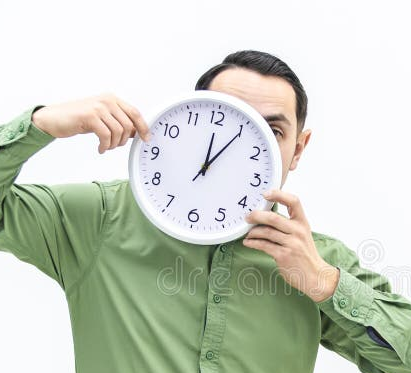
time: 12:05
